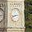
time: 8:12
